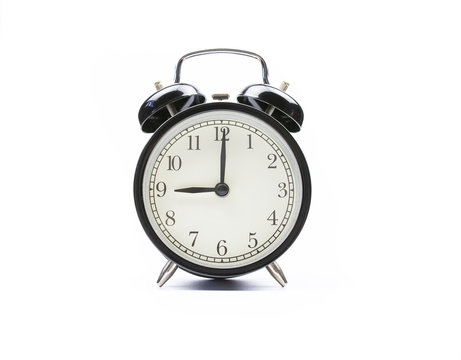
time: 9:00
